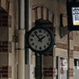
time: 1:53
